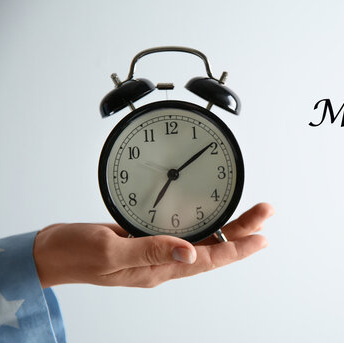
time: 7:09
